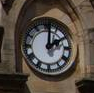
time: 2:01
